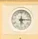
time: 6:14
